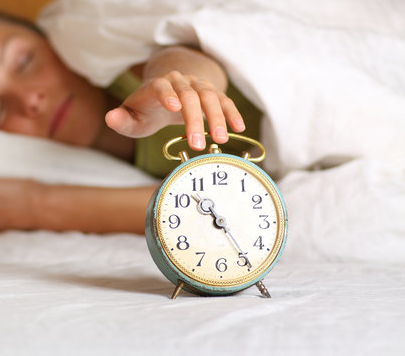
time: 10:24
